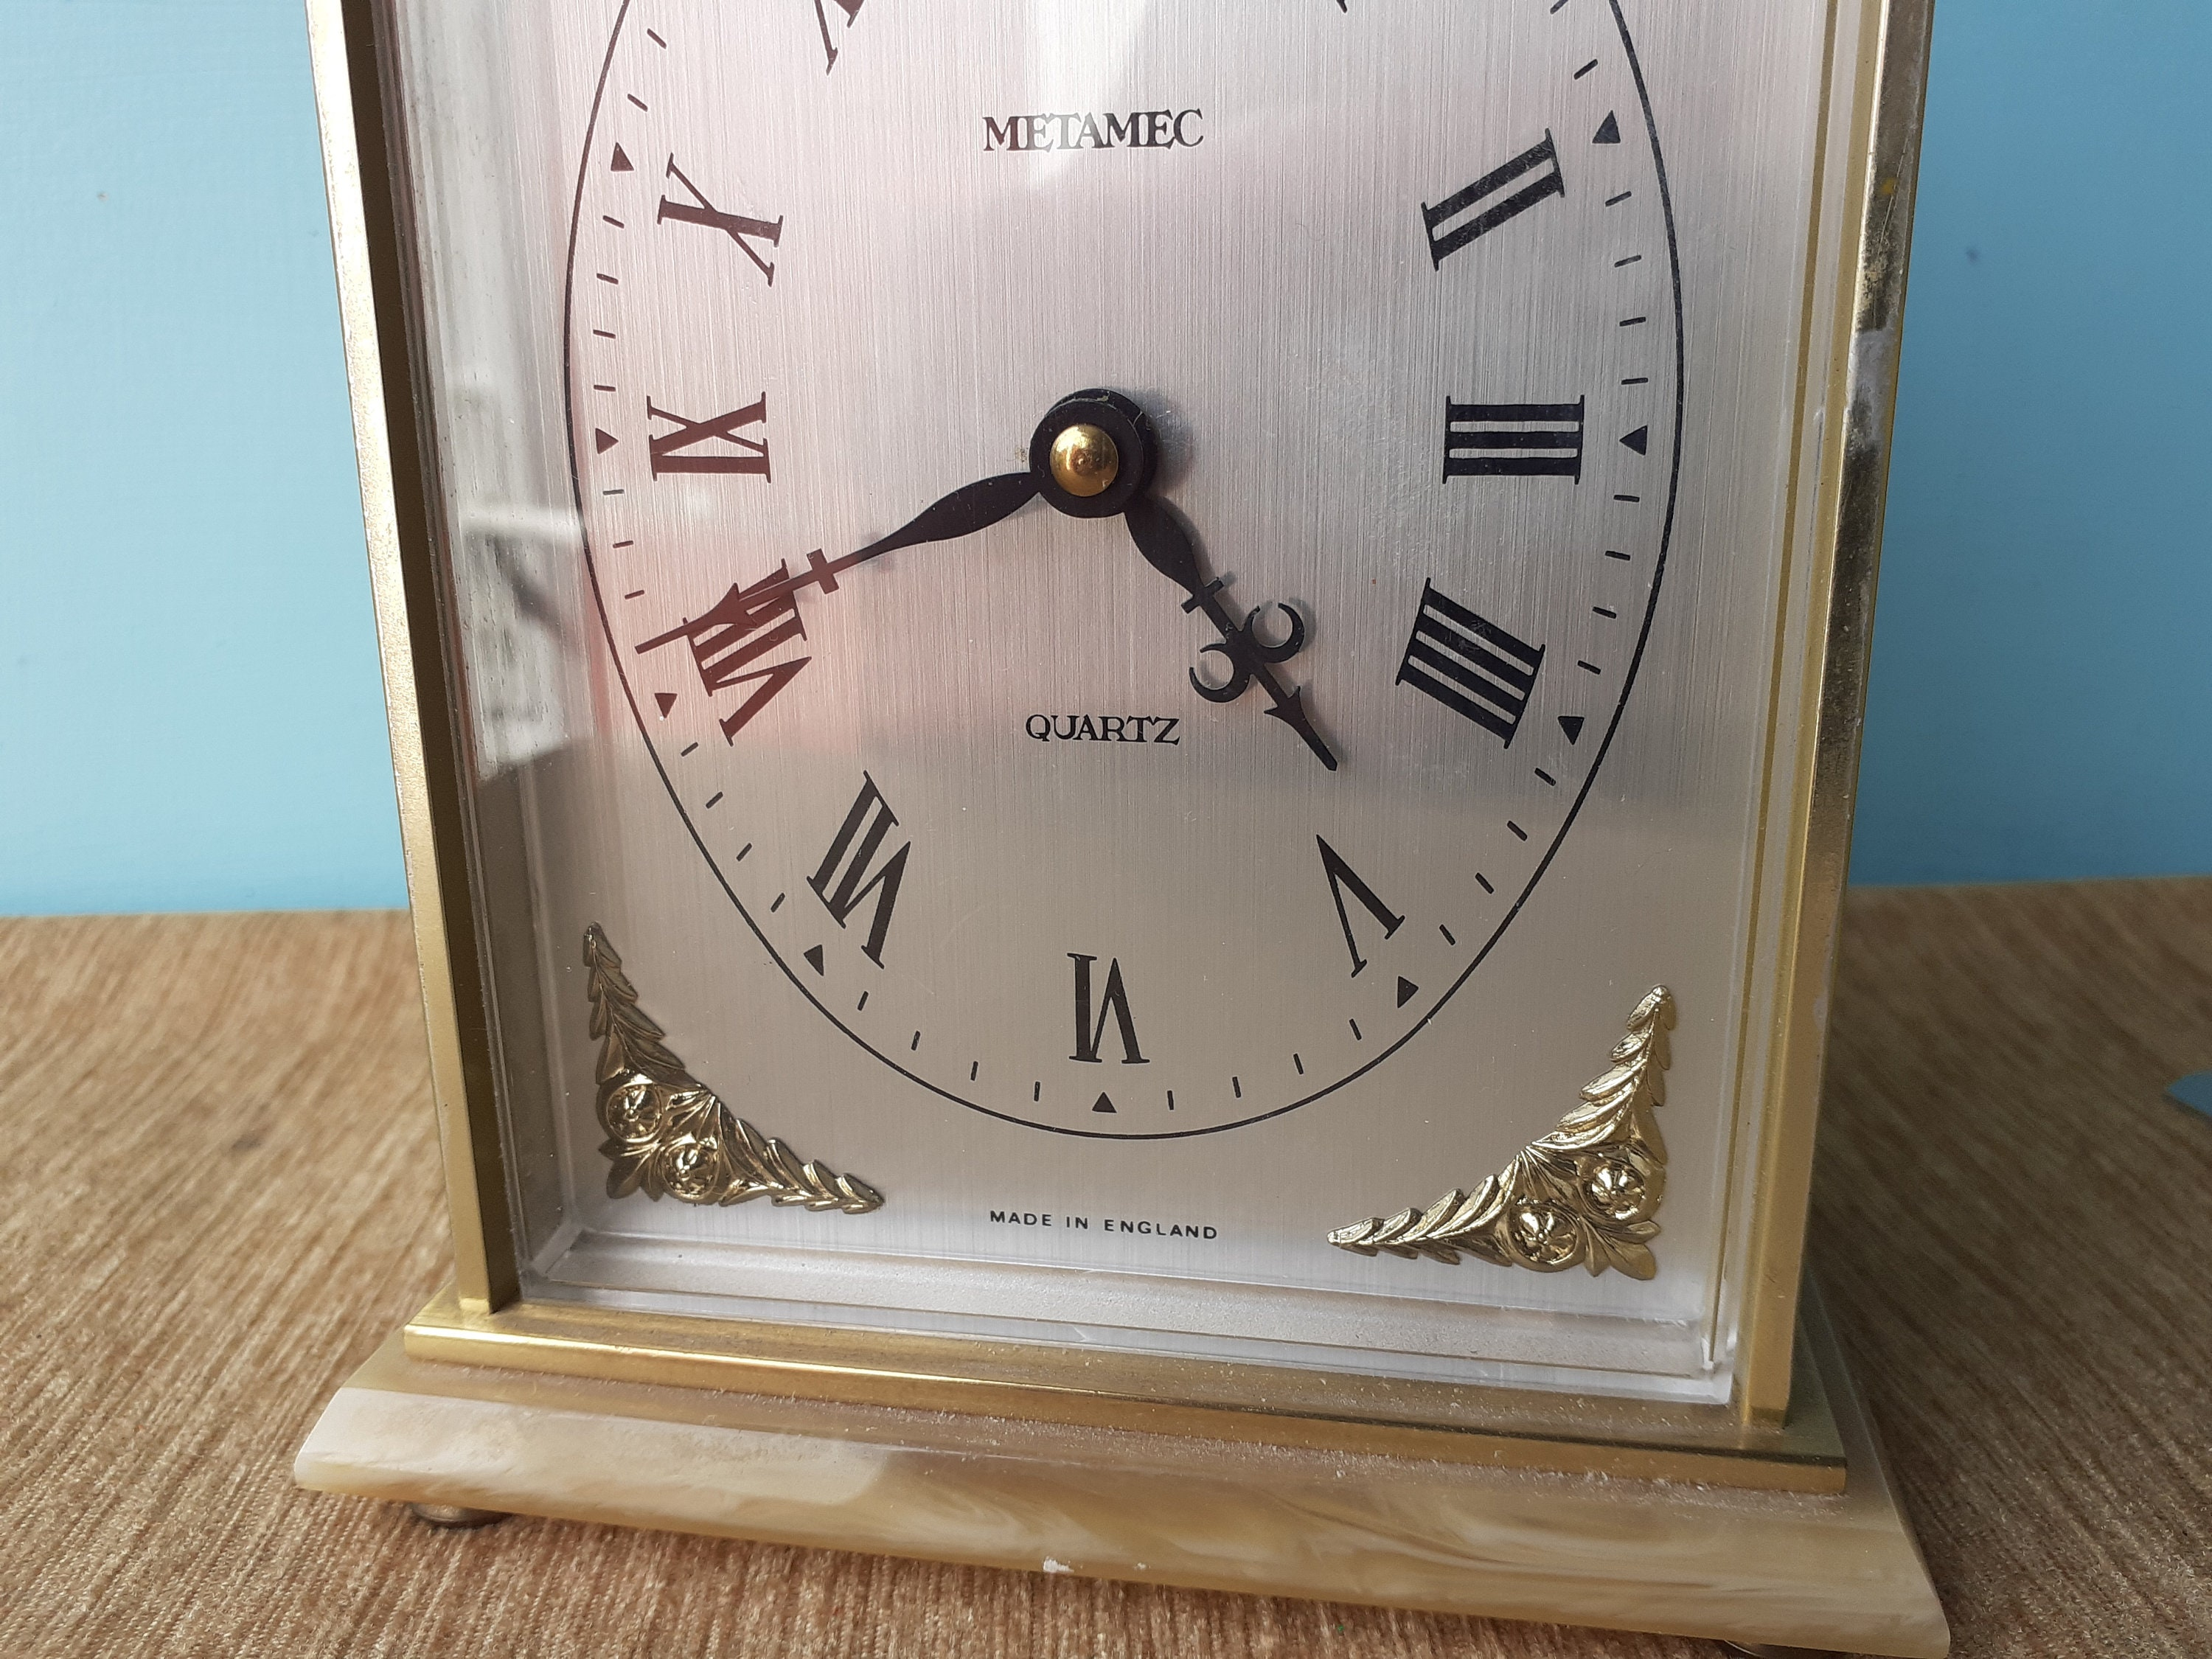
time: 4:41
